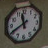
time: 11:40
